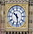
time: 10:28
